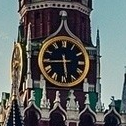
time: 5:44
